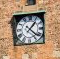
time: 1:21
